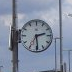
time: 2:29
